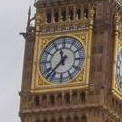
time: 11:37
